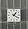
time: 1:20
